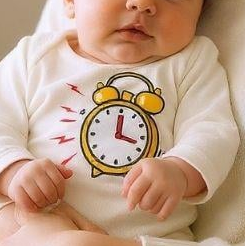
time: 12:17
